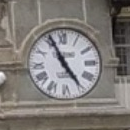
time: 4:55
